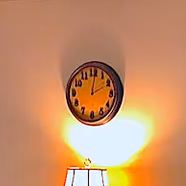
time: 2:01
